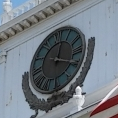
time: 12:19
